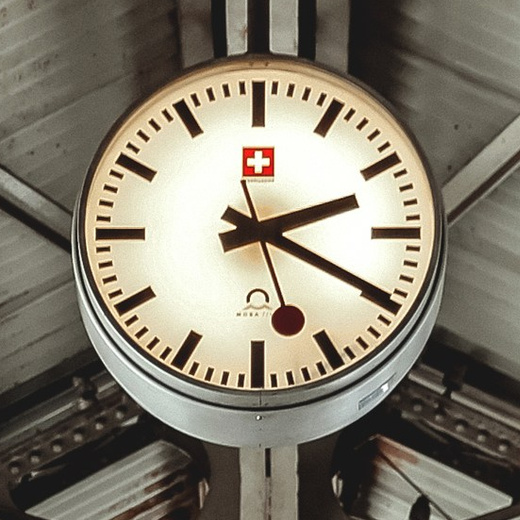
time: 2:19
